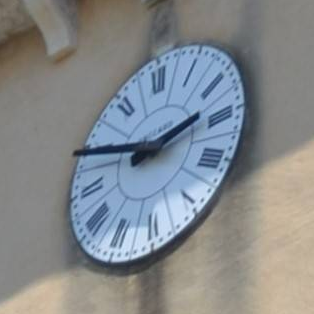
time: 2:49
